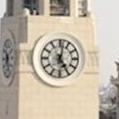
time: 5:01
